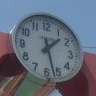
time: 1:27
